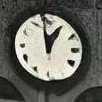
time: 12:59
